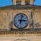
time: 3:02
